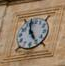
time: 4:57
